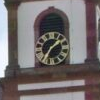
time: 1:34
